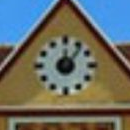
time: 12:06
